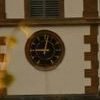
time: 9:01
